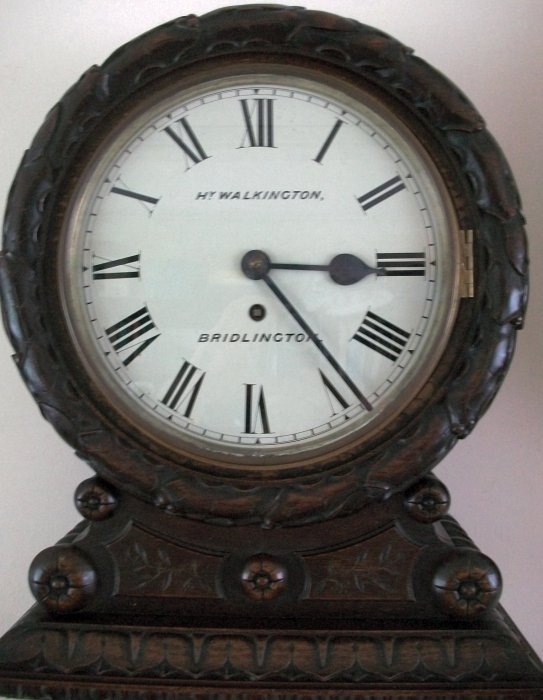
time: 3:23
